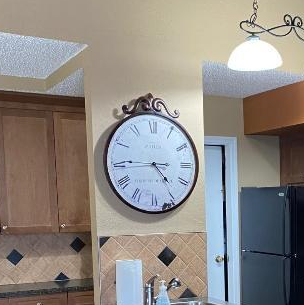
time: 4:44
